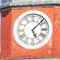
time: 5:07
